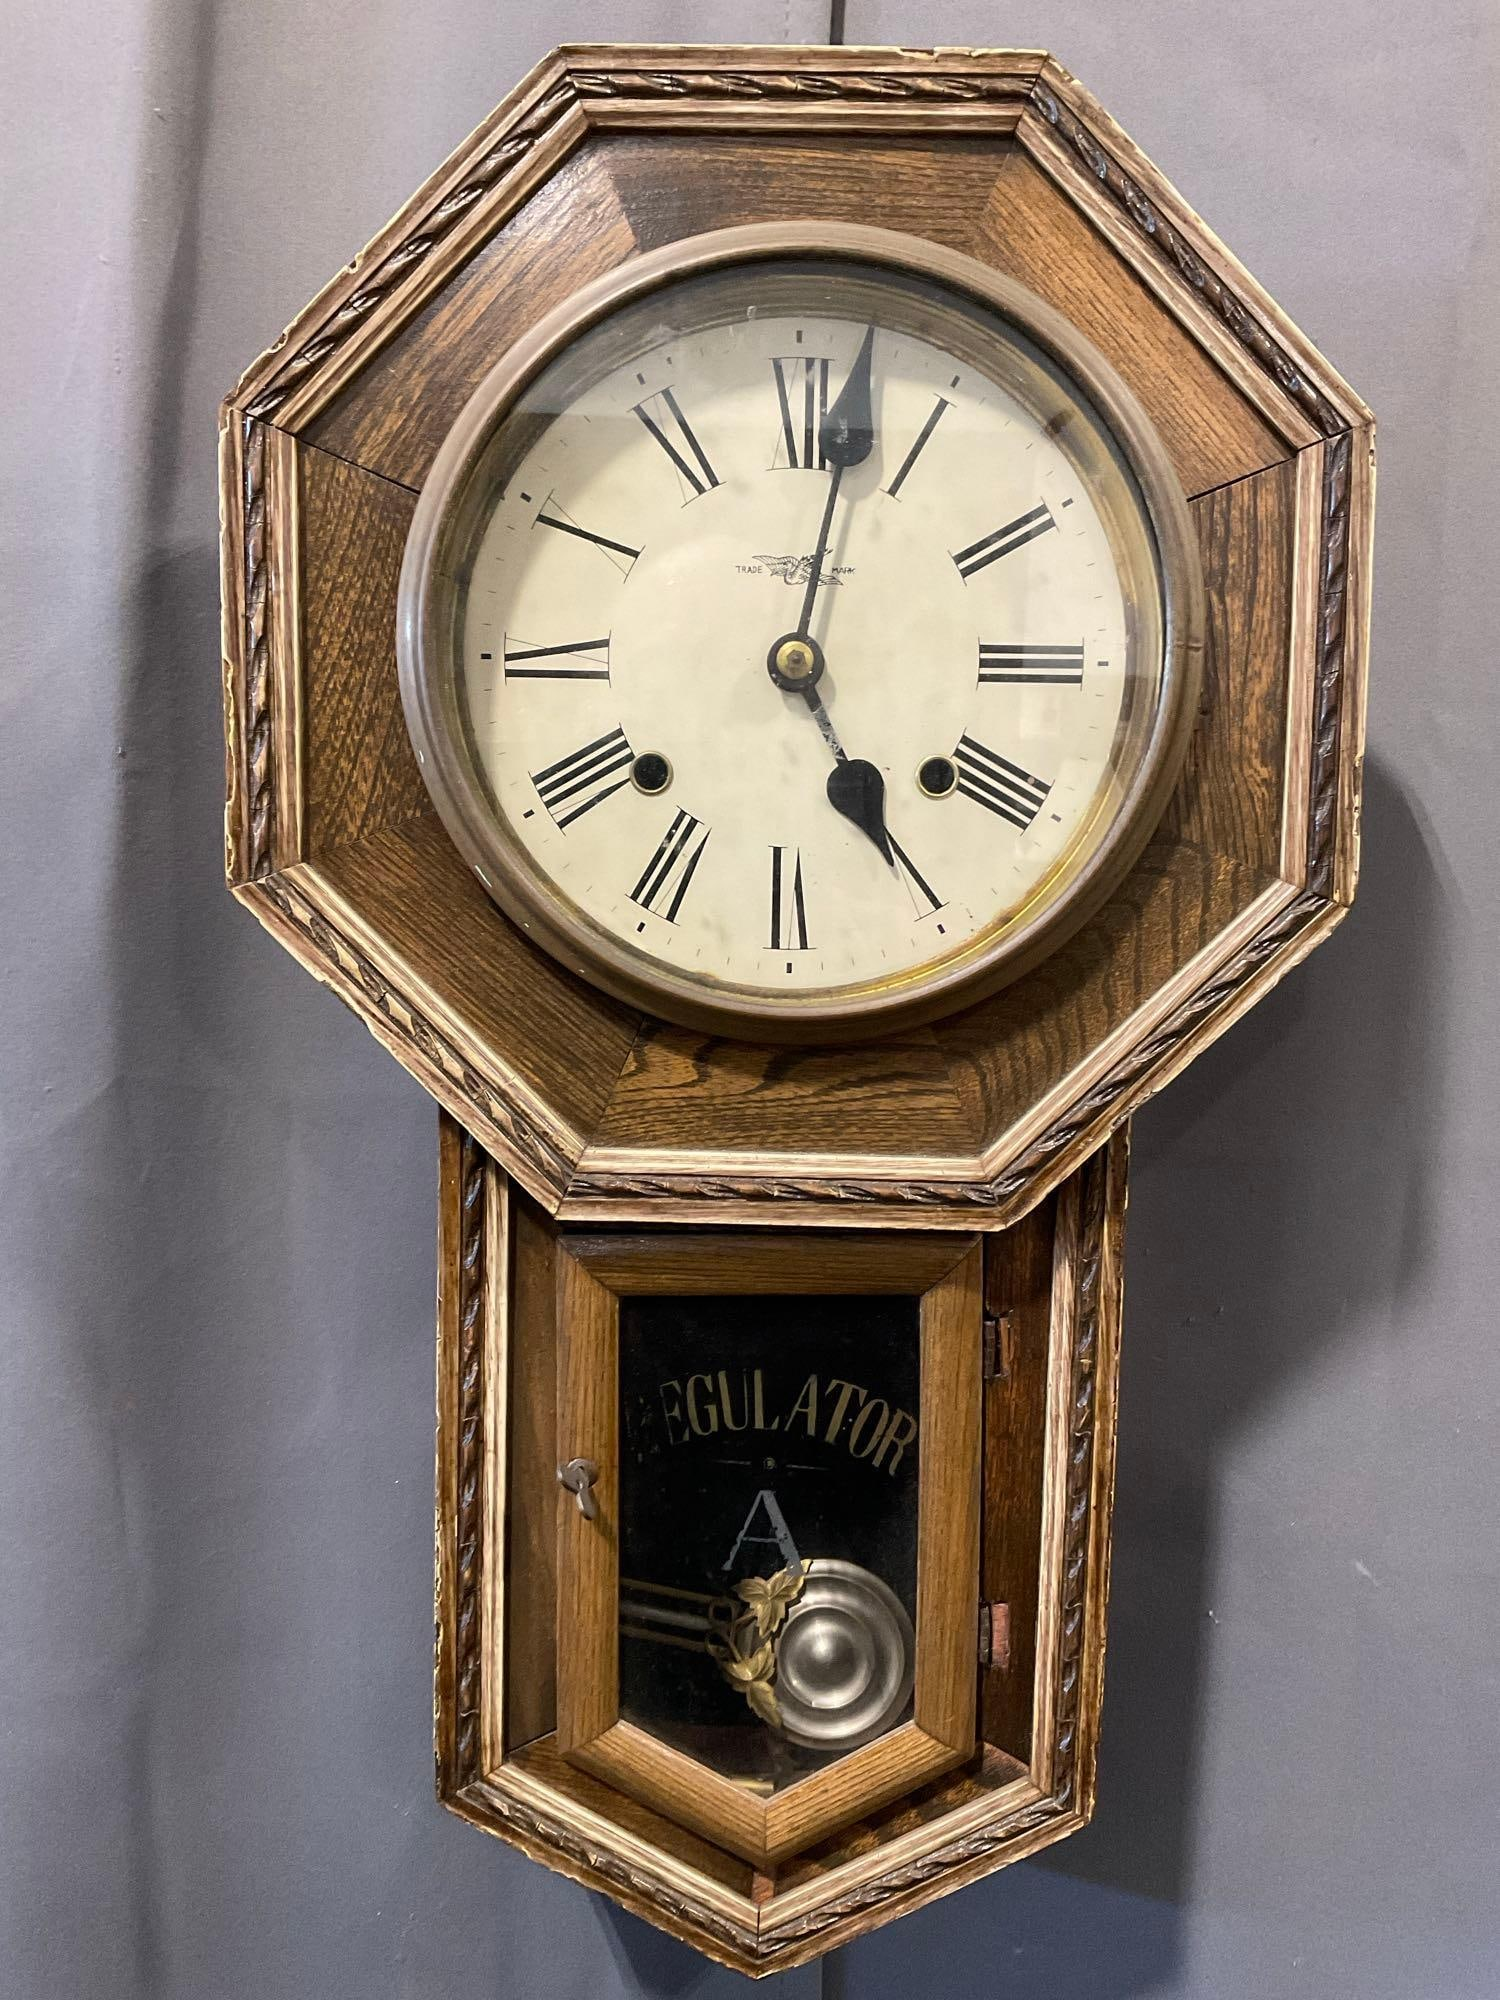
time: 5:02
